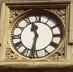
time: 11:32
